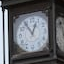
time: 12:54
